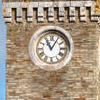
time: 11:05
